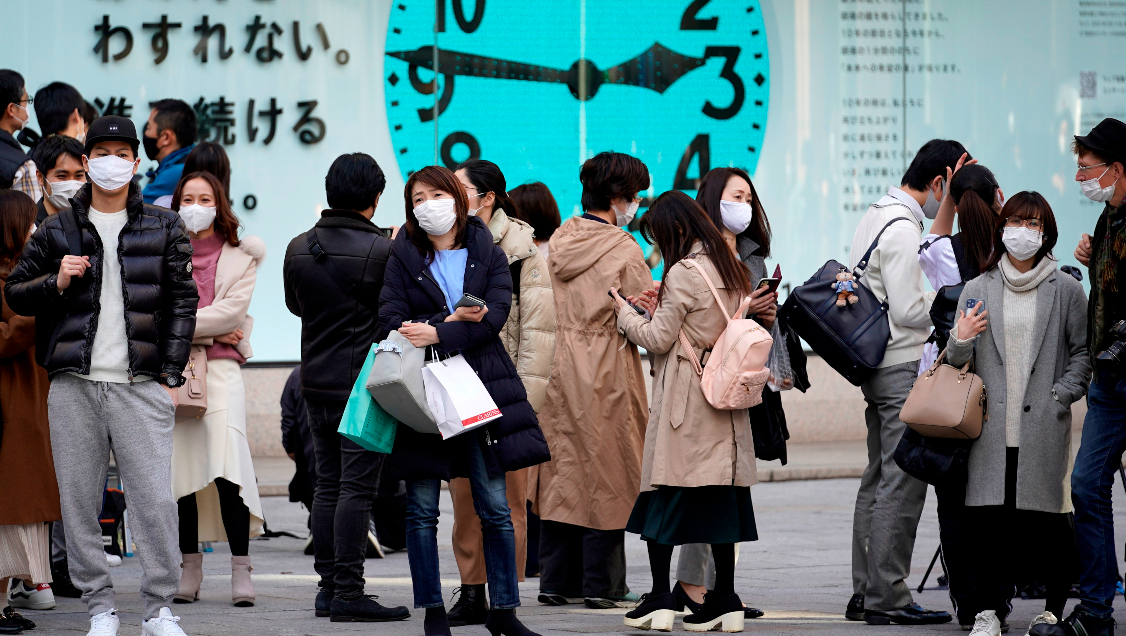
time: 2:46
